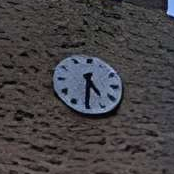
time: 4:30
